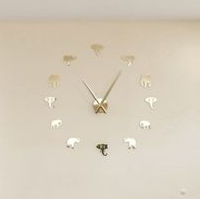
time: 11:05
